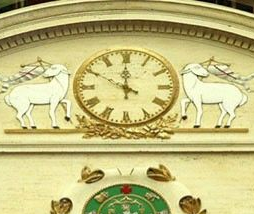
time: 11:50
